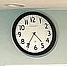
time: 4:35
